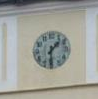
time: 1:30
